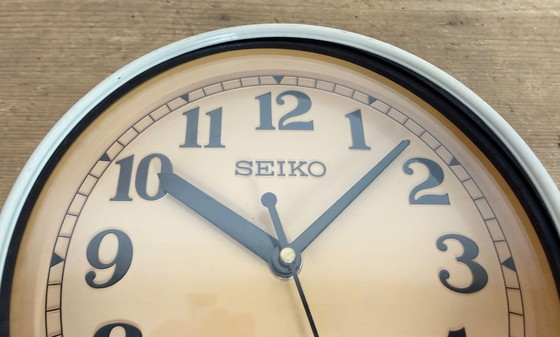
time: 10:07
